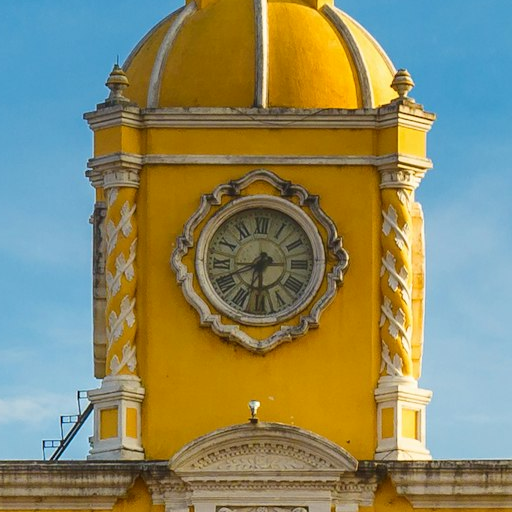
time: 6:41
